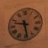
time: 9:28
